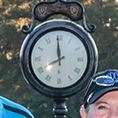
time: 7:59
